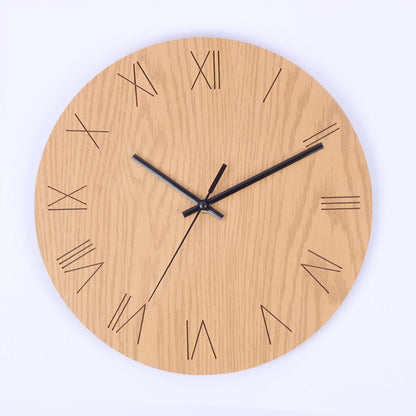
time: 10:10
